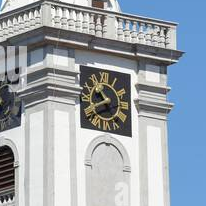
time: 10:40
